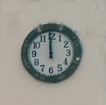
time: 11:59
